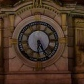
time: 6:25
